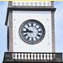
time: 9:44
